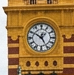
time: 12:50
